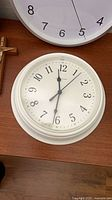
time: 11:31
